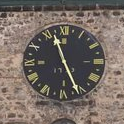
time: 11:25
